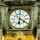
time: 6:20
